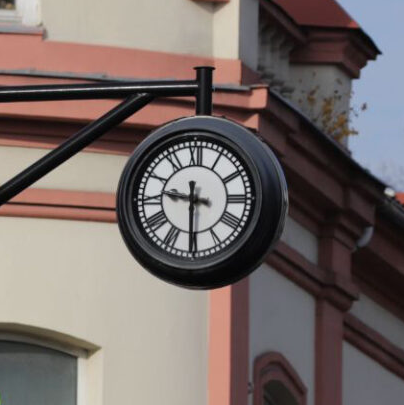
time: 9:30
